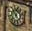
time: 4:52
